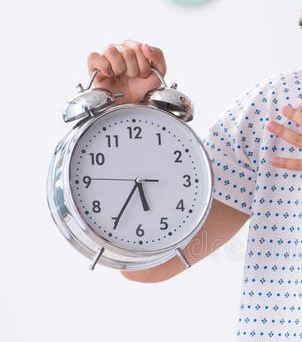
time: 5:35
